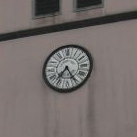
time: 7:25
